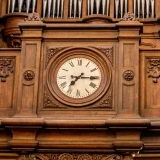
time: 7:15
